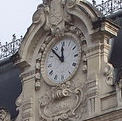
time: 11:52
